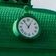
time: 12:53
